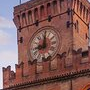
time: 9:01
